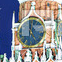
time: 4:59
